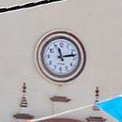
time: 11:13
